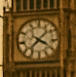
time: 3:38
